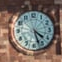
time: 4:27
